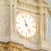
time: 11:25
